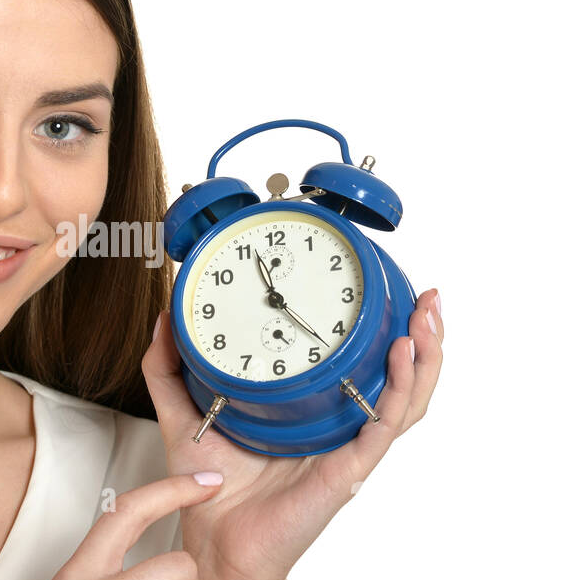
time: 11:22
